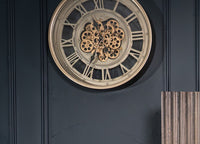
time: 11:35
